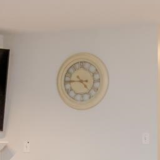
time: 4:45
